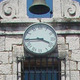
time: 3:44
